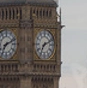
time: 7:11
